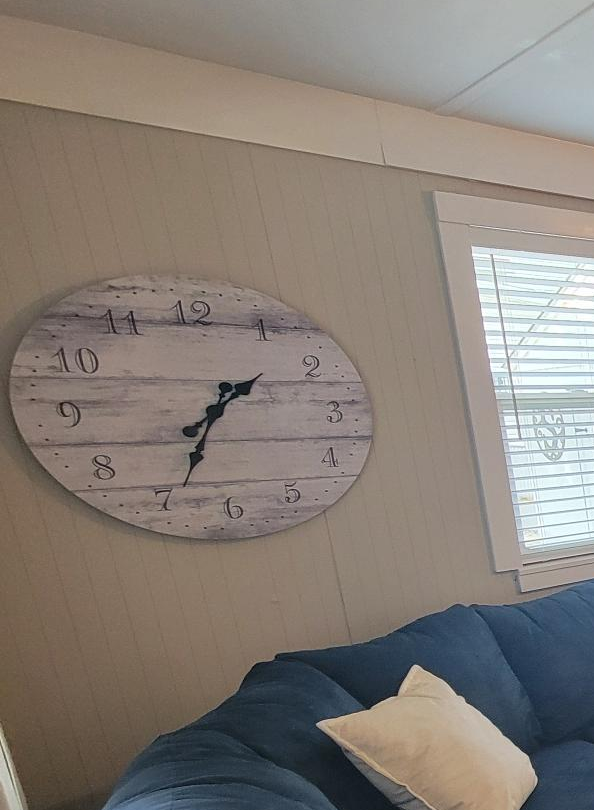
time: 1:34
